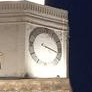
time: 3:17
